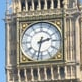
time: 2:32
